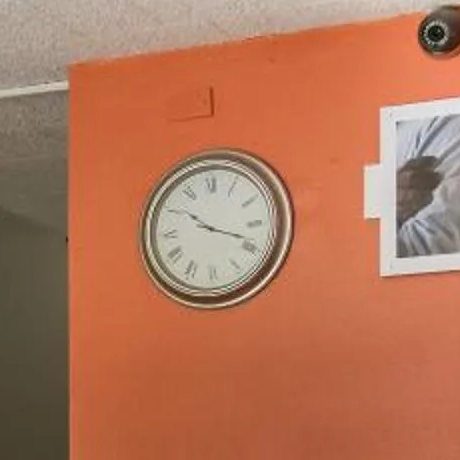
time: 10:18
